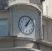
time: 1:06
